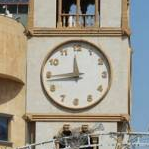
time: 11:44
